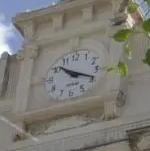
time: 10:19
